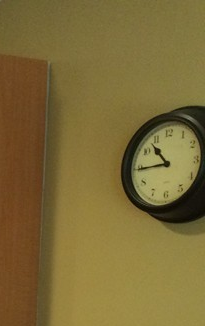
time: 10:44
